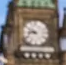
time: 8:48
